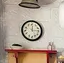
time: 12:14
